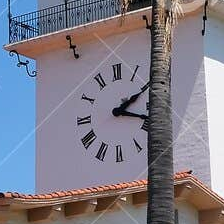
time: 2:18
